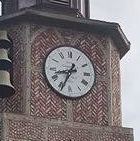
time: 8:34
